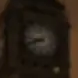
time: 8:41
